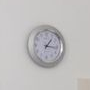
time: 1:16
